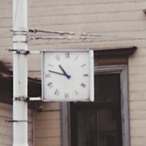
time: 10:47
